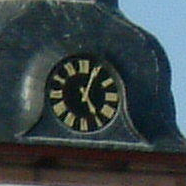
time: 5:03
